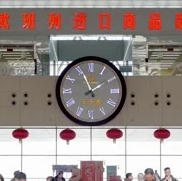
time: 4:56
